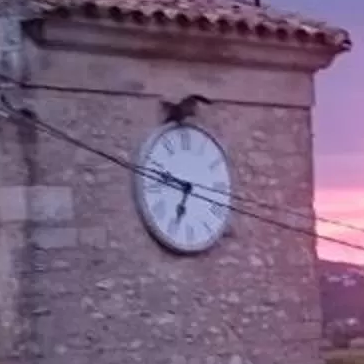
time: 6:48
